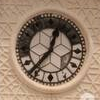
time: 12:36
